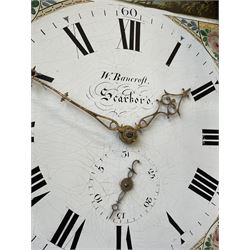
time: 1:49
